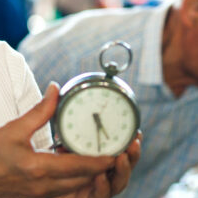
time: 4:26
